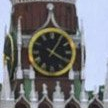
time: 4:05
